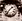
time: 1:36
